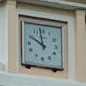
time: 9:57
